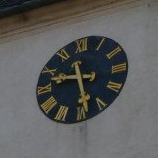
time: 9:28
